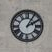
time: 2:05
